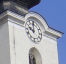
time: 10:00
